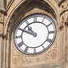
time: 10:49
